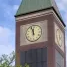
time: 11:57
